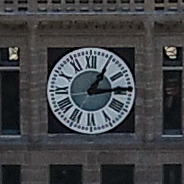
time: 1:14
